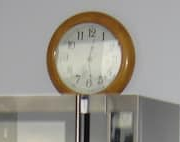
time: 12:28
